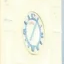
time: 7:04
